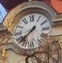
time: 7:37
